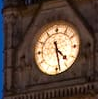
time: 4:28
